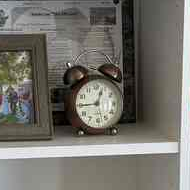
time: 12:44
